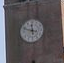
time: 11:48
